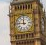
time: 11:46
